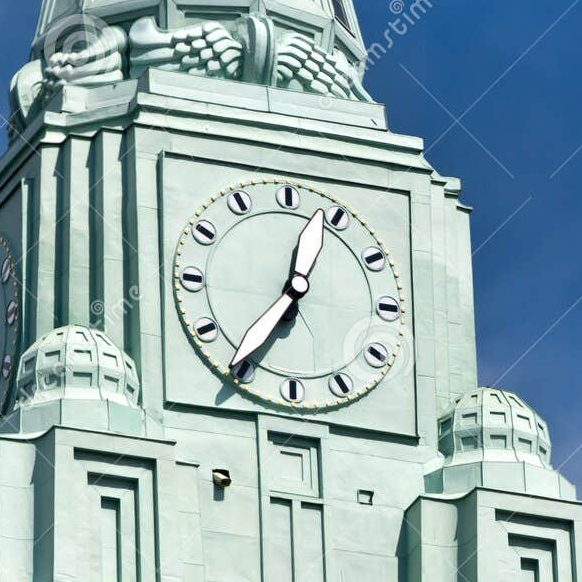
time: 12:35
